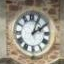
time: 2:04
